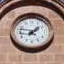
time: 1:47
